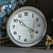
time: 10:20
